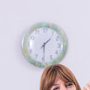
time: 1:29
